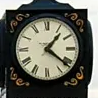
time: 1:21
